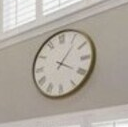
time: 4:06
